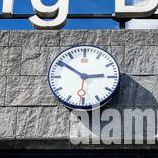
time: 2:50
